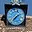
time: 7:08
